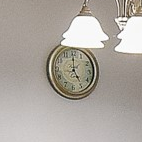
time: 4:59
